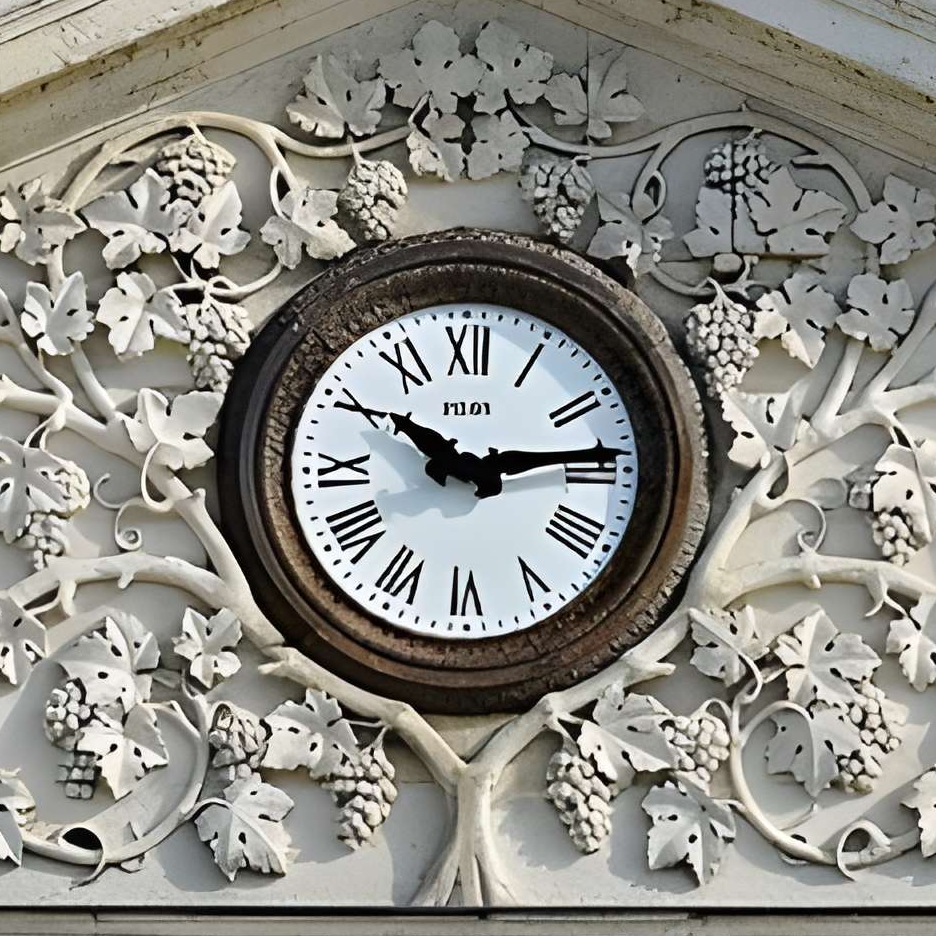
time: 10:13
